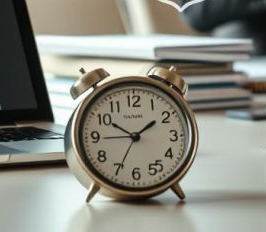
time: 1:50
